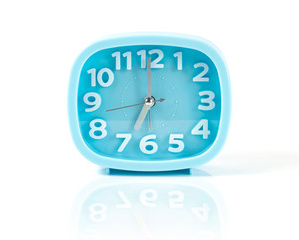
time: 6:59
